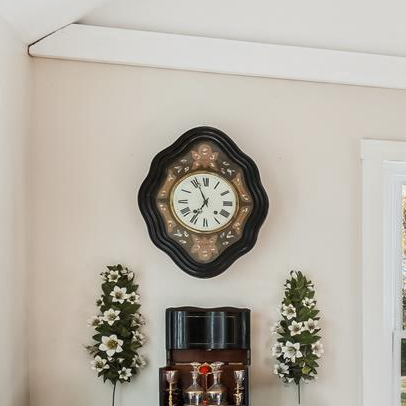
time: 11:36
